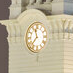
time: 11:36
